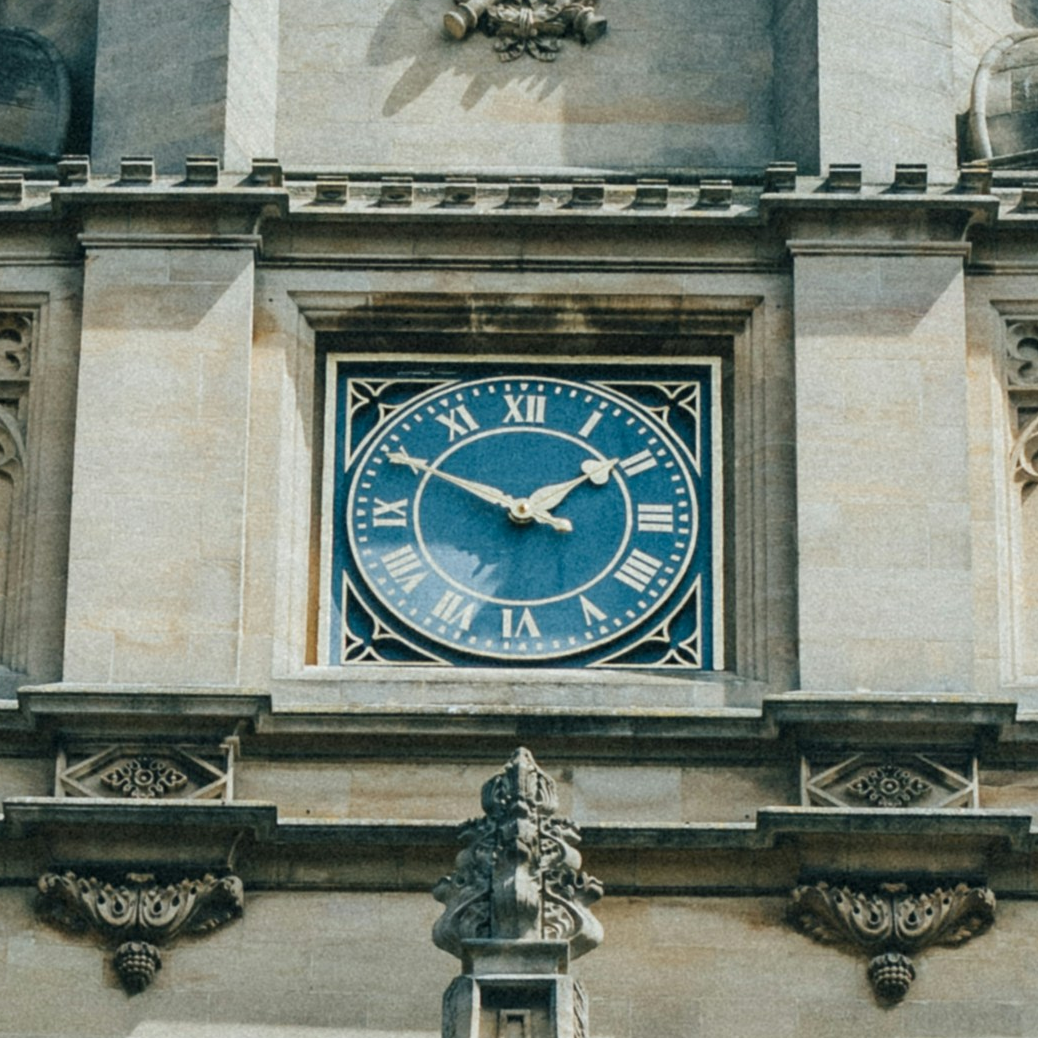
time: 1:50
